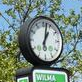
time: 1:02
